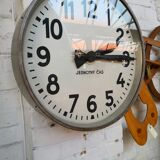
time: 2:14
